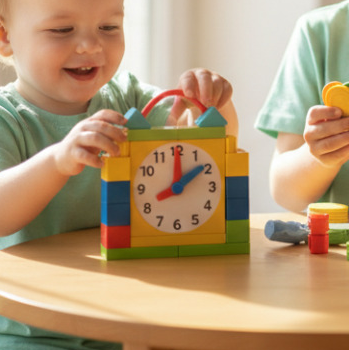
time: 2:00
